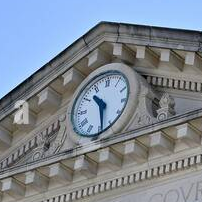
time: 10:28
